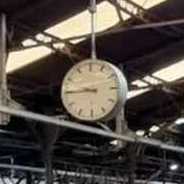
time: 9:45
